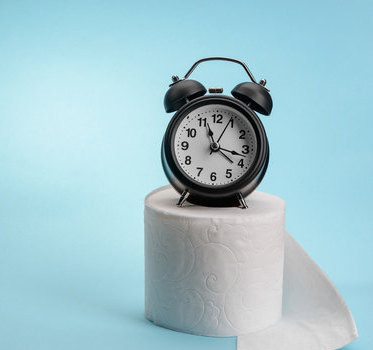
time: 11:17
